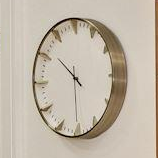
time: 10:30
